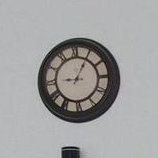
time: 9:04
